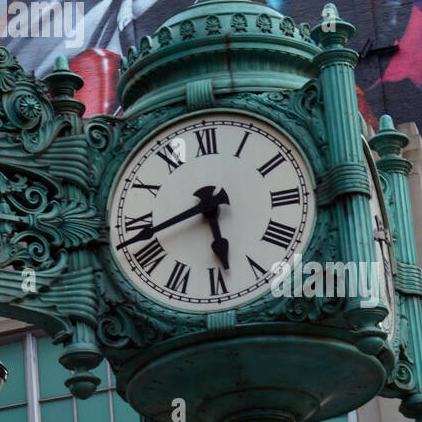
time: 5:42
